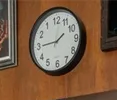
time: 1:45
